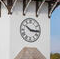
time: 10:15
